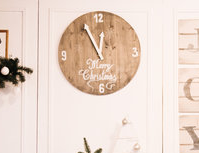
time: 12:55
